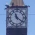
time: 11:21
